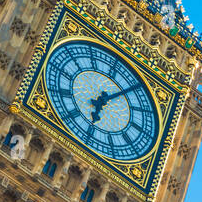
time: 7:09
